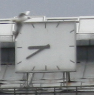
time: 8:39
